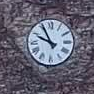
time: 9:55
